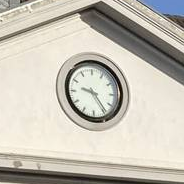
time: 9:23
